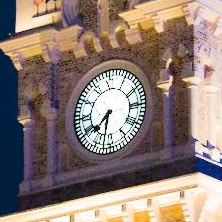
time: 7:32
